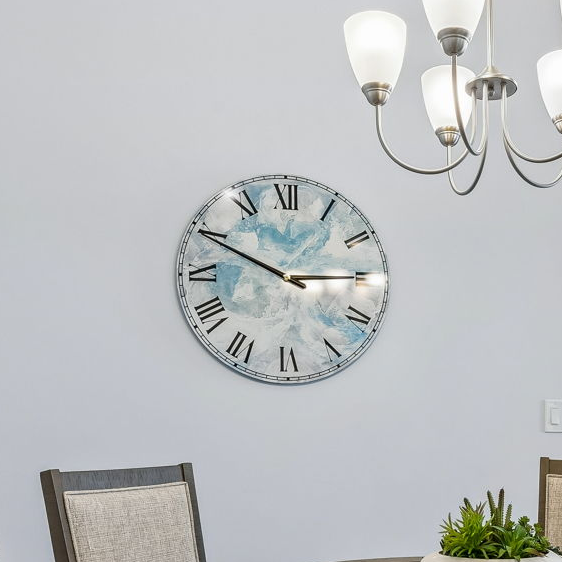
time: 2:49
